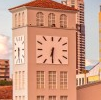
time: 6:30
